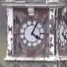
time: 4:04
